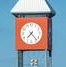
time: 7:23
